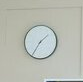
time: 1:35
